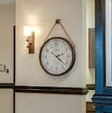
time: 2:21
